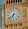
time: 6:38
